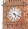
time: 5:18
